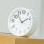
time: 1:52
